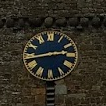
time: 2:42
